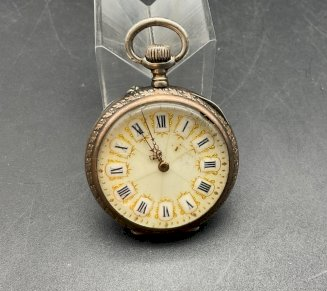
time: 10:56
